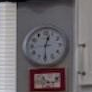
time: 12:30
